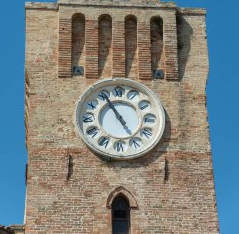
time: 4:55
